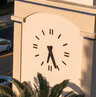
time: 6:25
